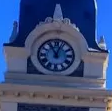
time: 11:03
